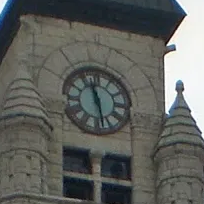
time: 11:28
